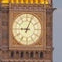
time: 9:03
